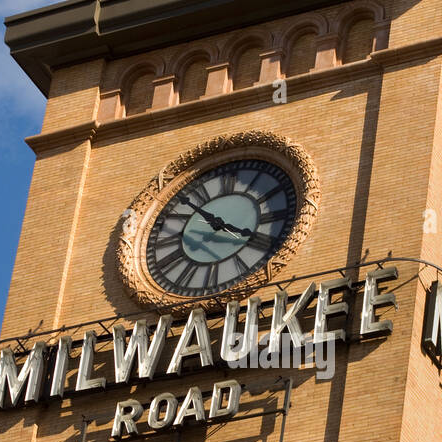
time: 10:19
